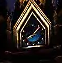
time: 8:07
